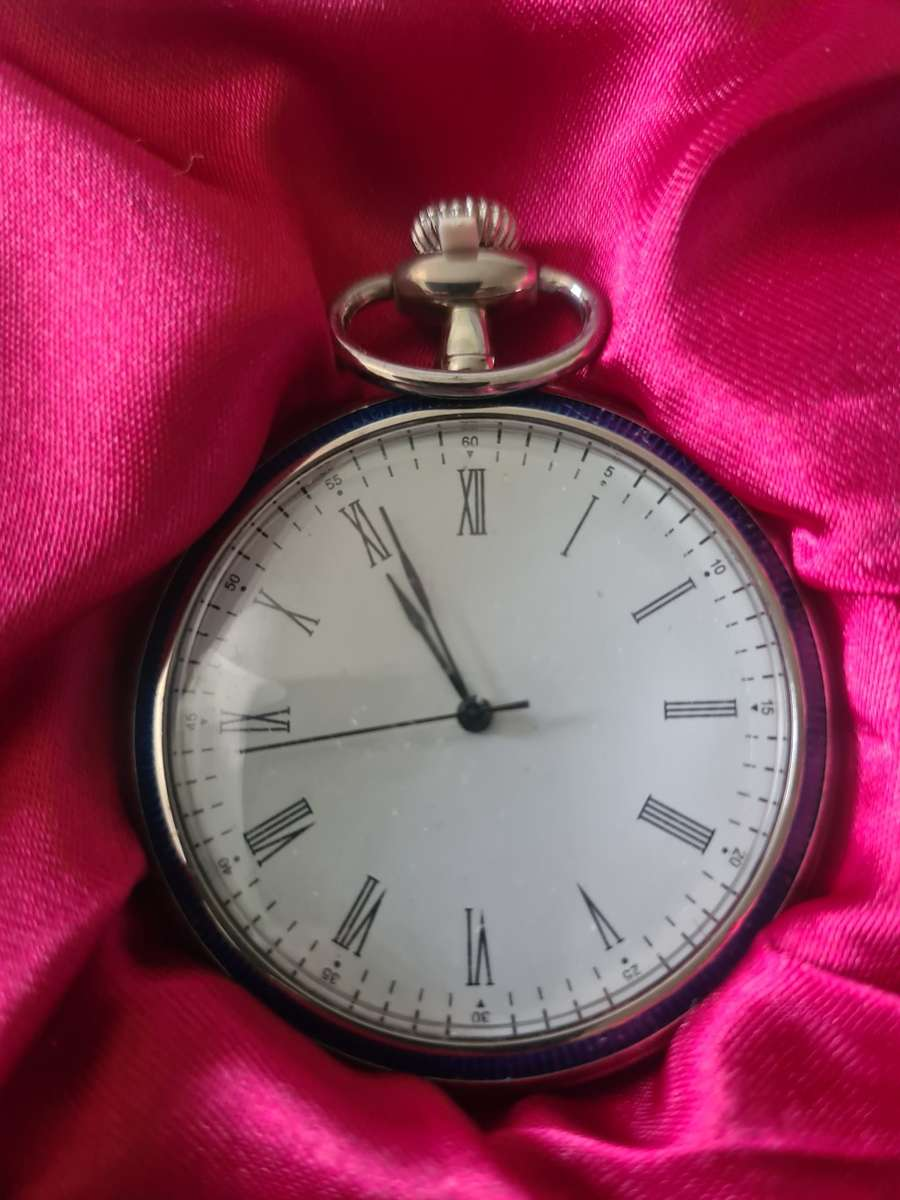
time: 10:55
